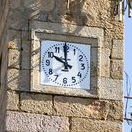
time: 9:59
